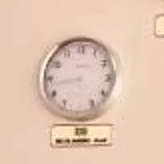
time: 8:43
